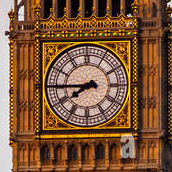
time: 7:44
